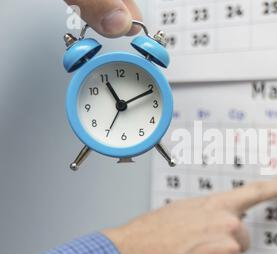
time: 11:11
